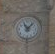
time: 11:07
